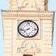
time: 7:42
